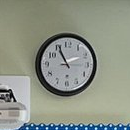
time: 1:55
